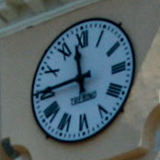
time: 11:45
